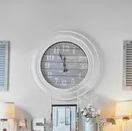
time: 11:56
